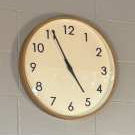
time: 4:55
